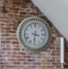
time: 3:31
